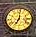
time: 7:01
